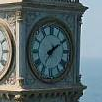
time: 7:09
